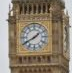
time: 1:40
